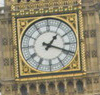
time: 1:18
